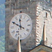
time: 11:49
